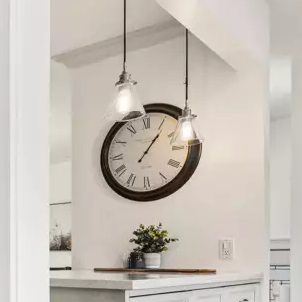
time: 1:06
